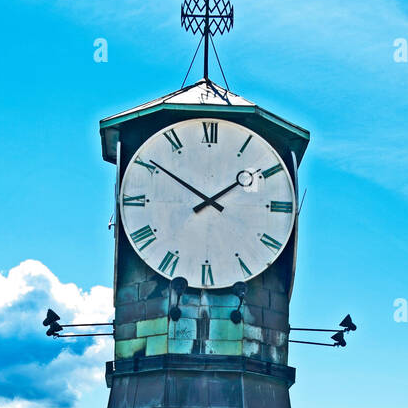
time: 1:50
